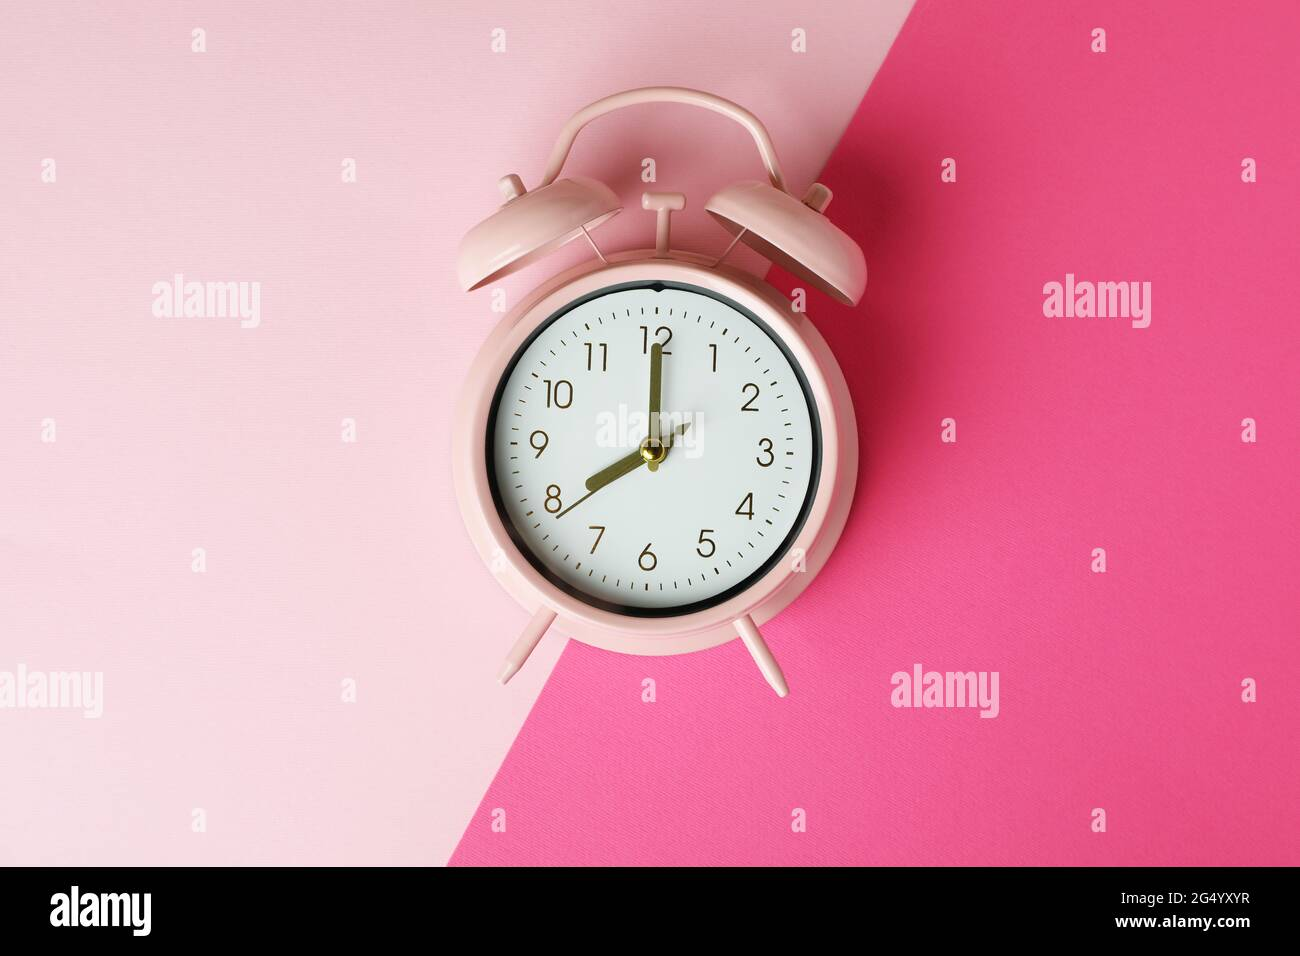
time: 8:00
